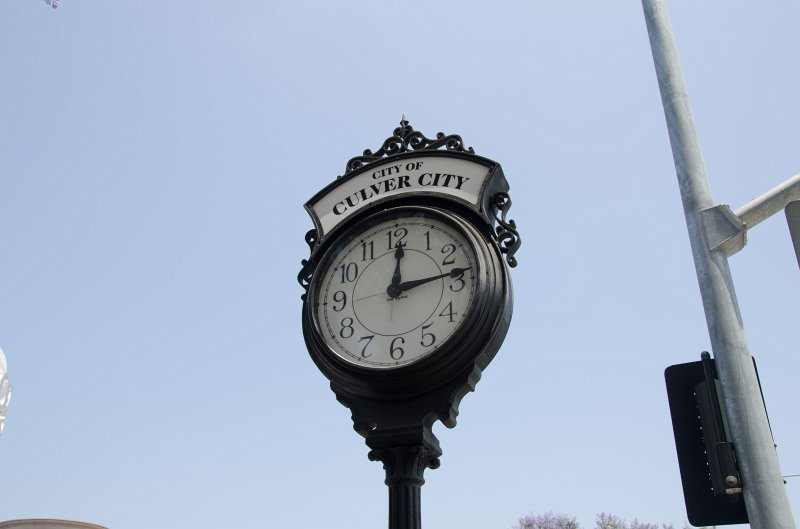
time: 12:13
